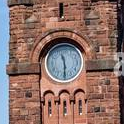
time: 11:29
